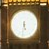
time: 5:31
